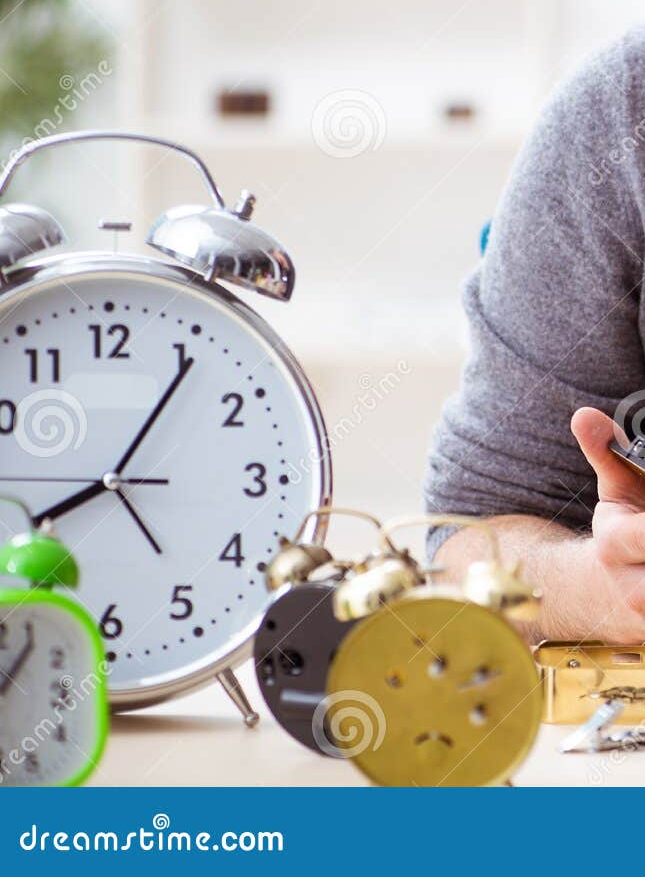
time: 8:05
